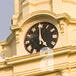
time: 4:59
